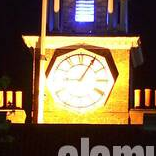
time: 9:05
